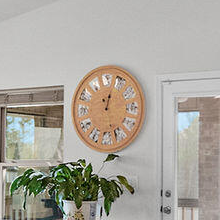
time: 12:03
